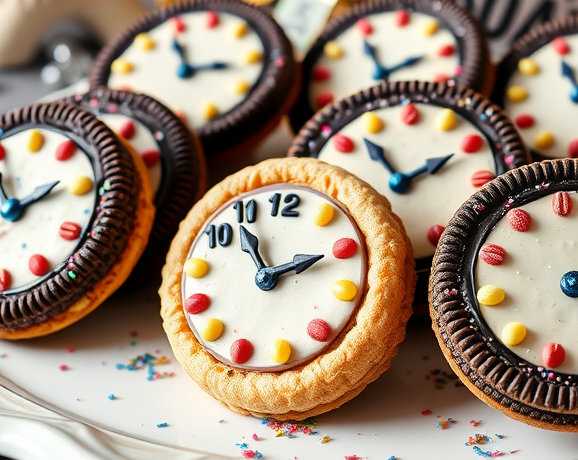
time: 1:53
